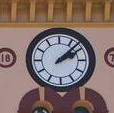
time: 2:07
